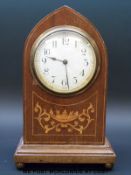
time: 9:28
